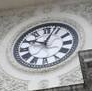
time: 10:03
